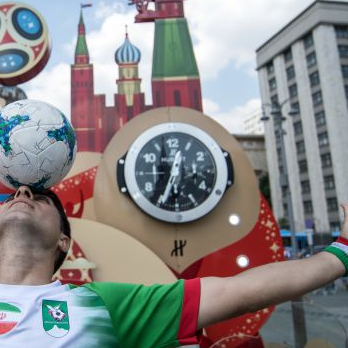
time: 12:33
